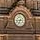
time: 6:43
